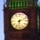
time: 6:11
